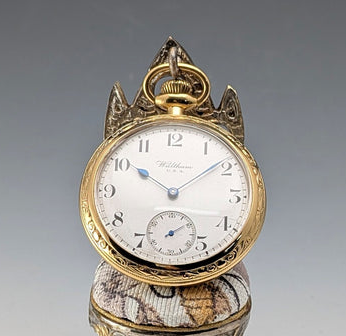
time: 10:08
